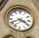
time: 3:40
